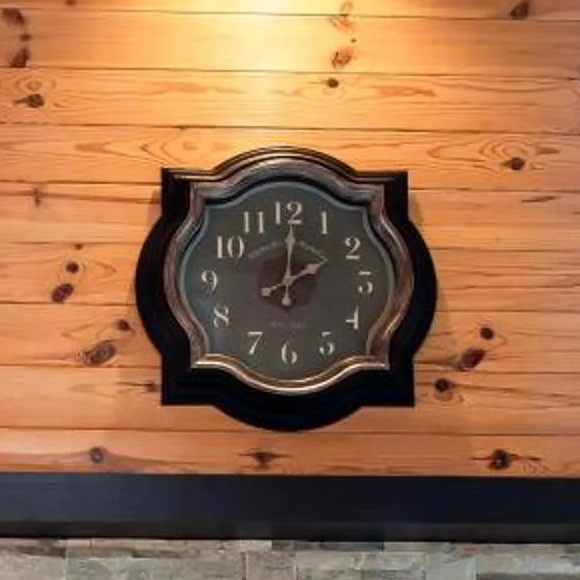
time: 2:01
